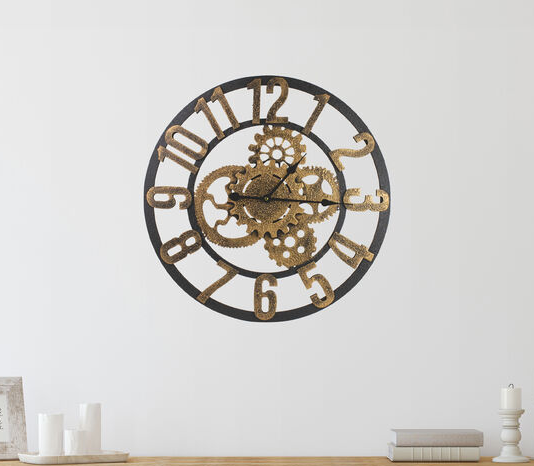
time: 1:14
